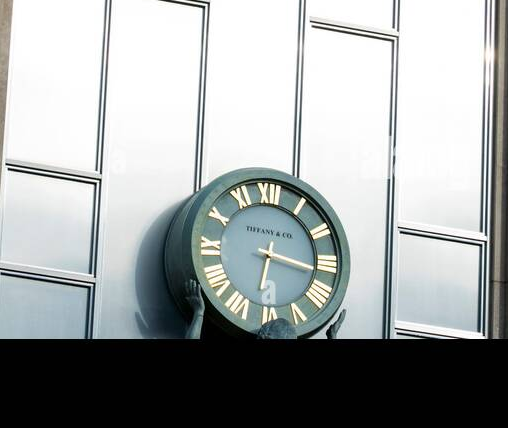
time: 6:16
